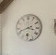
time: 3:41
